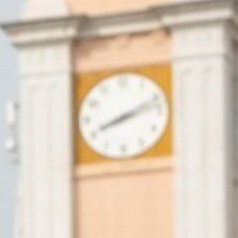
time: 8:11
